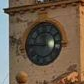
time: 11:45
